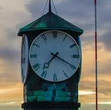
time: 7:19
